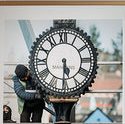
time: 5:30
